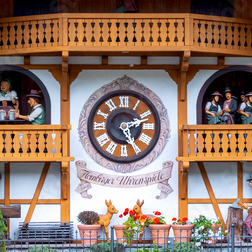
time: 2:25
